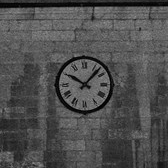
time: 10:07
